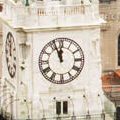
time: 11:56
